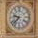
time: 9:37
